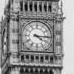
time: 4:14
